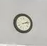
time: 2:12
